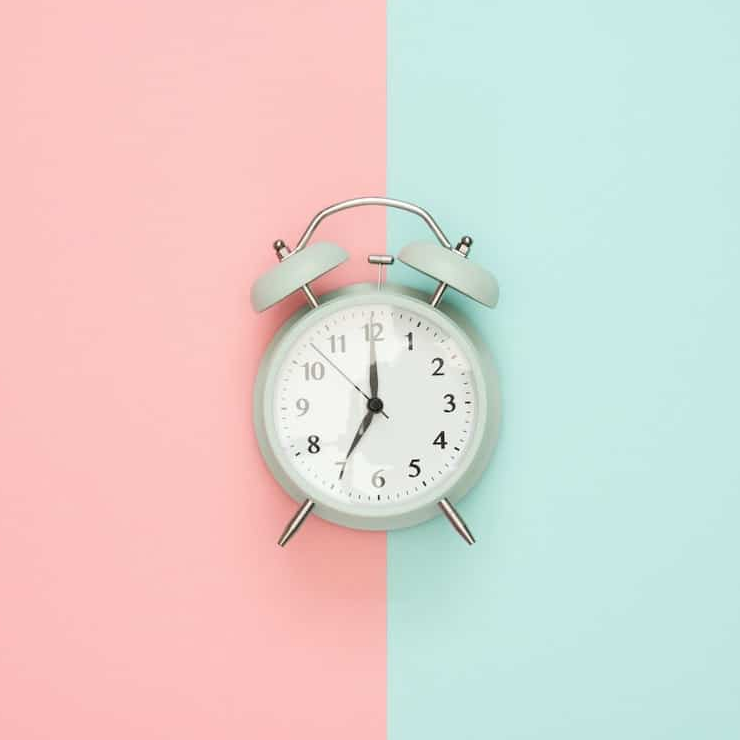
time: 7:00
